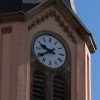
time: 9:39
